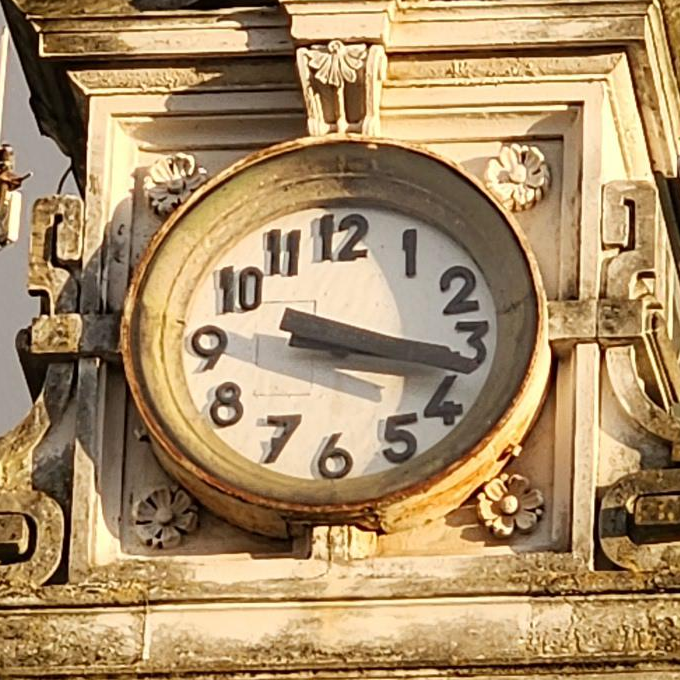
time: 3:16
